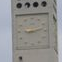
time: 9:12
